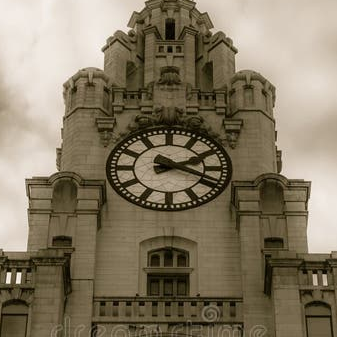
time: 2:18
